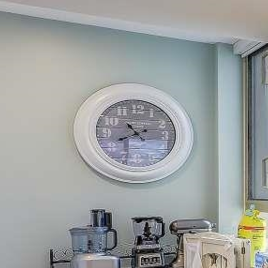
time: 10:41
